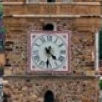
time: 4:31
